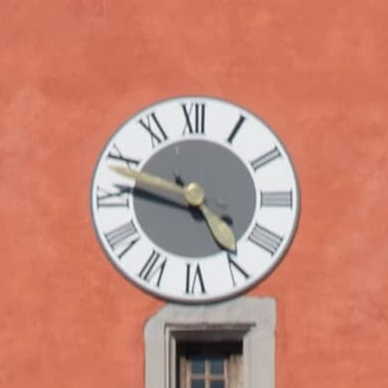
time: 4:48
